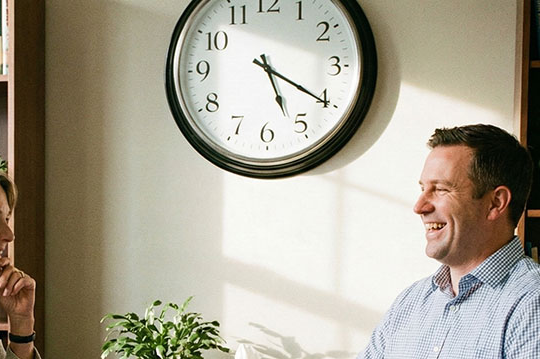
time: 5:20
